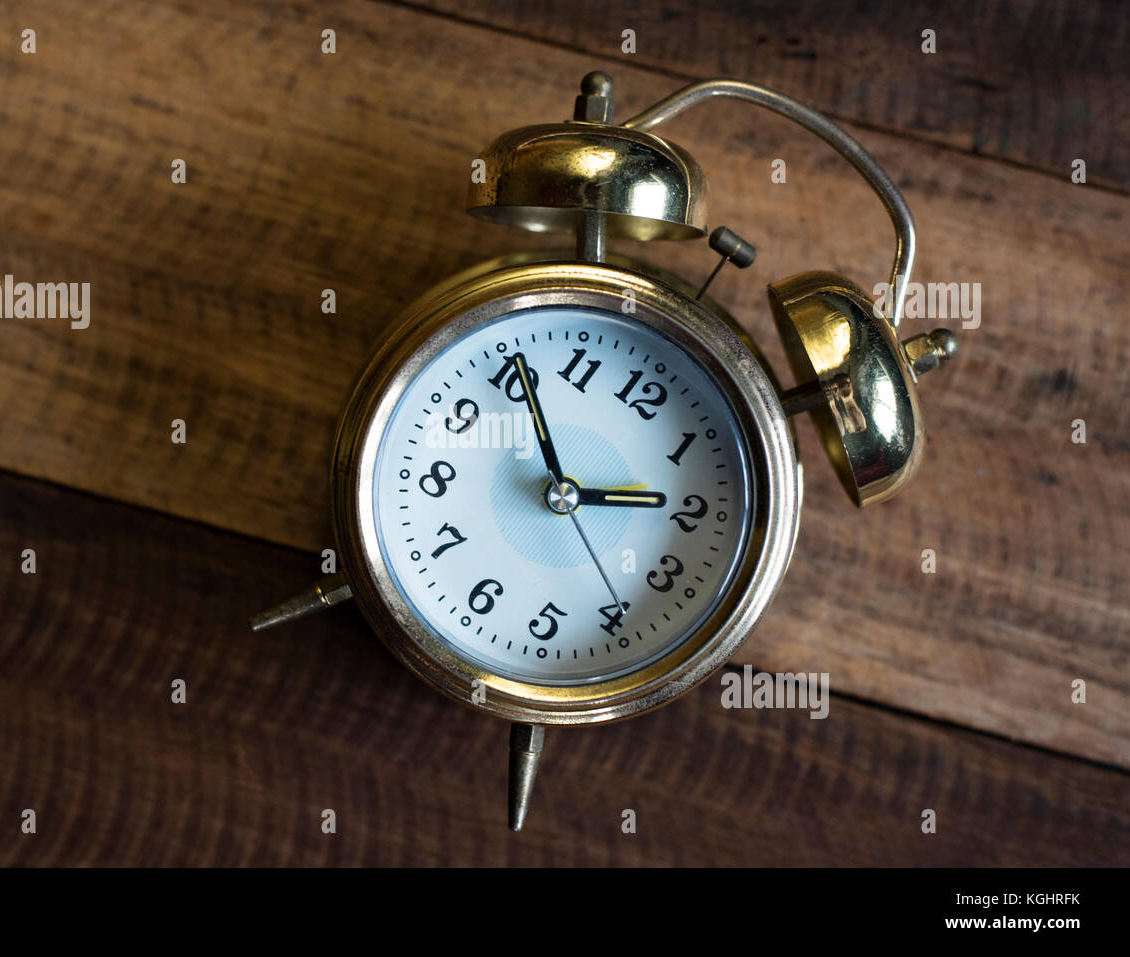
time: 2:55
